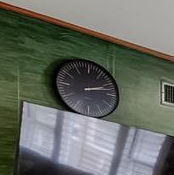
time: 2:12
